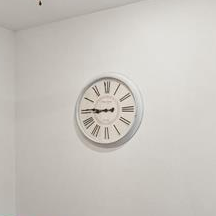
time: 8:45
